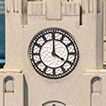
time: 4:00
